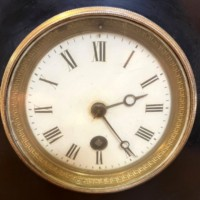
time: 2:24
